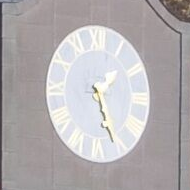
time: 1:26
